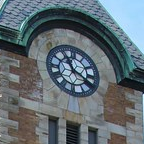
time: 11:19
